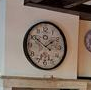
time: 1:50
